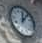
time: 12:06
